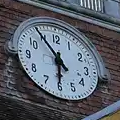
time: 5:54
